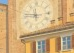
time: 11:46
